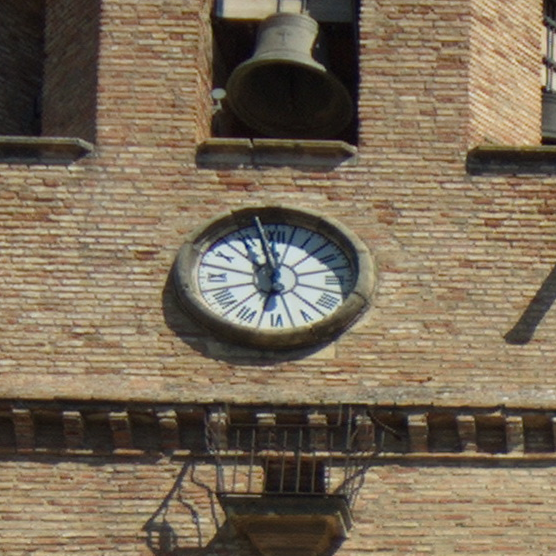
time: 10:58
